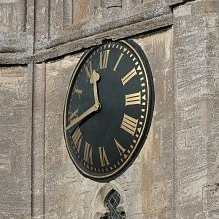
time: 11:41
